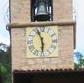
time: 5:57
